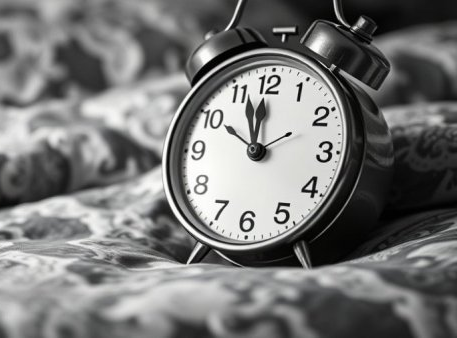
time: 11:56
